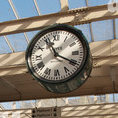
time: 11:19
